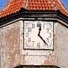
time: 12:23
